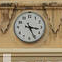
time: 3:25
